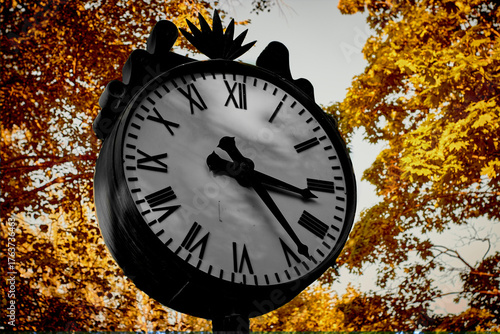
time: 3:23
